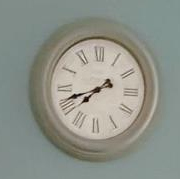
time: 7:41
